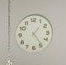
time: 1:24
